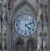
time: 4:12
